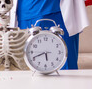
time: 5:41
